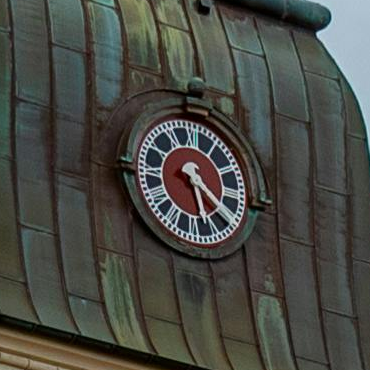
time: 5:20
